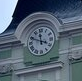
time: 11:48
